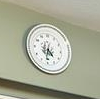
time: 4:31
